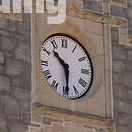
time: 10:29
